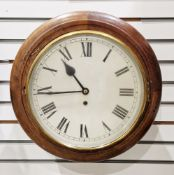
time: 10:43
